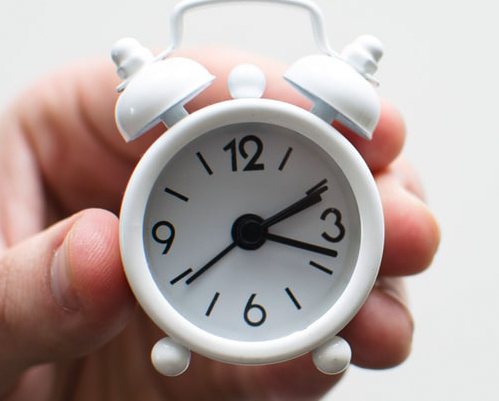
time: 2:18
